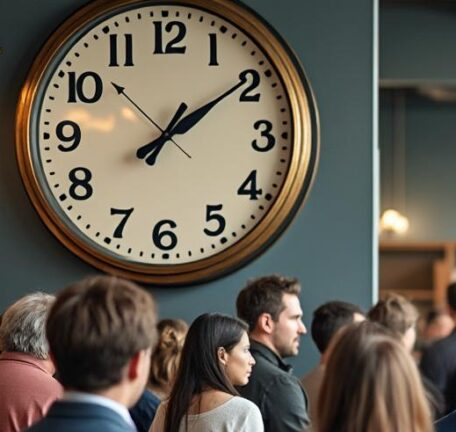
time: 1:09
